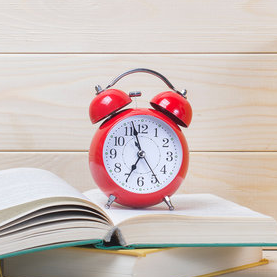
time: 6:57
